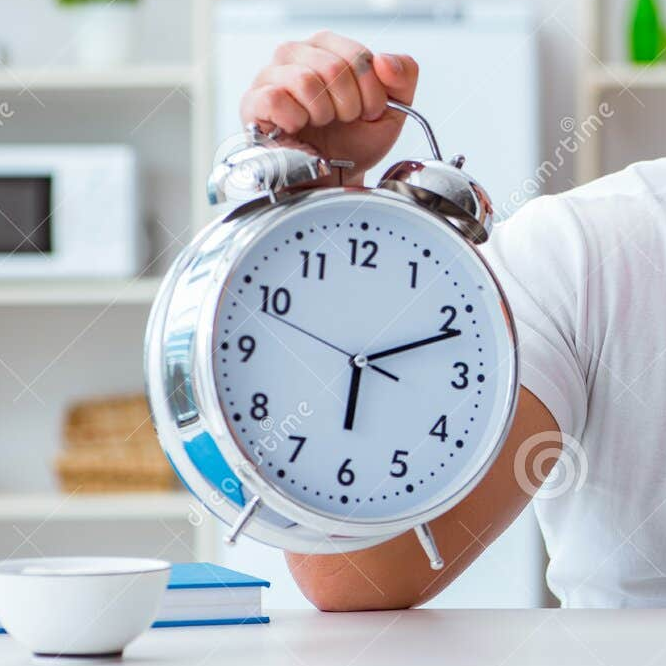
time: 6:11
